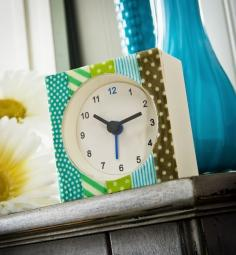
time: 10:12
